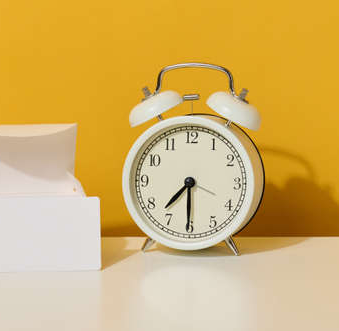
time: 7:30
